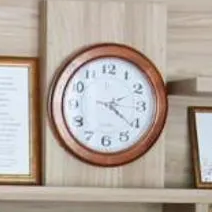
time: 2:21
